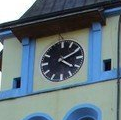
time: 4:10
